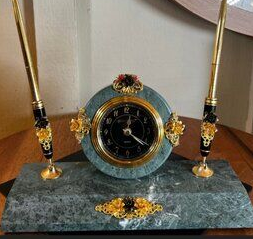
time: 12:21
